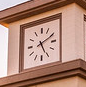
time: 5:11
